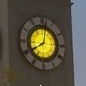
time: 8:02
